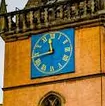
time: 11:43
